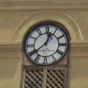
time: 12:38
